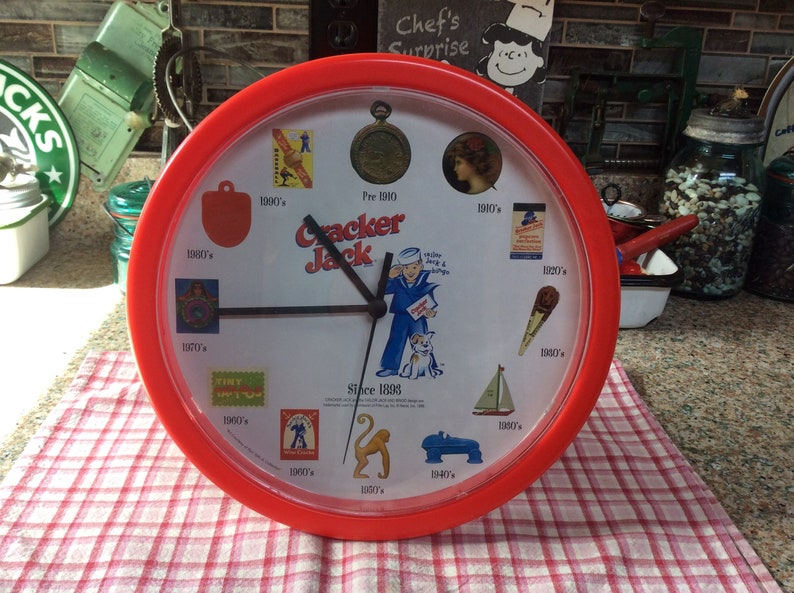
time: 10:45
